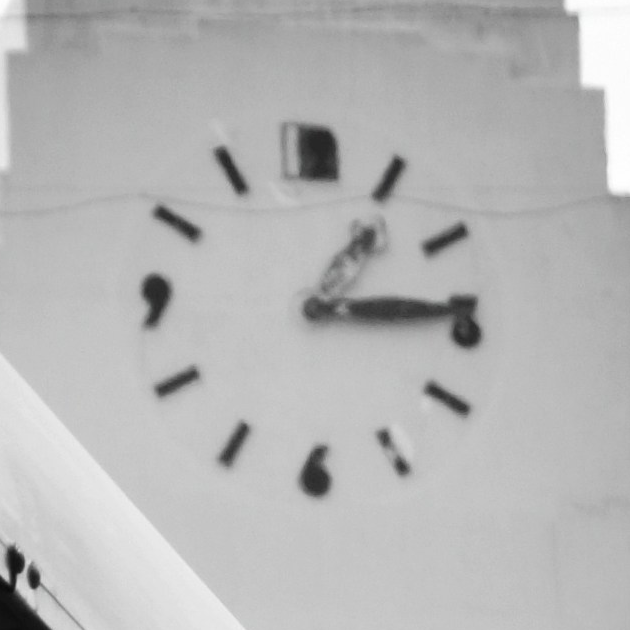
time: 1:14
